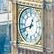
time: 12:41
